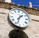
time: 1:33
